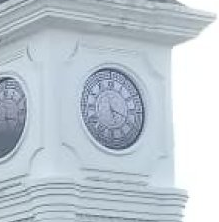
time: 5:18
